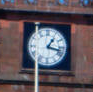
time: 1:17
